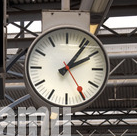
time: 2:06
